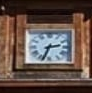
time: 2:33
